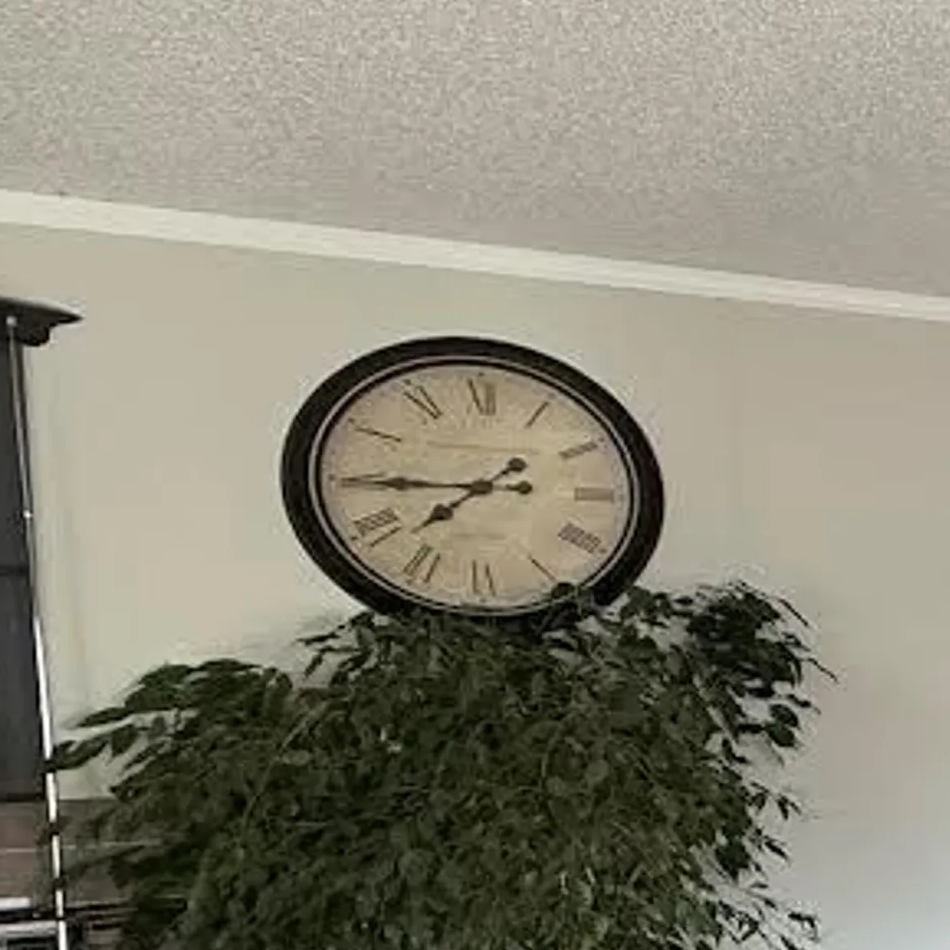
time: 7:44
